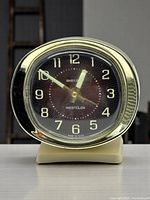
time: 12:50
